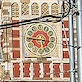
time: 5:45
